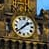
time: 1:38
